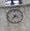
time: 7:17
